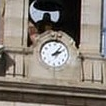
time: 2:06
